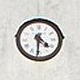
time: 4:30
